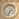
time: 1:32
